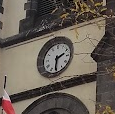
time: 2:30
